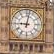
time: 9:01
